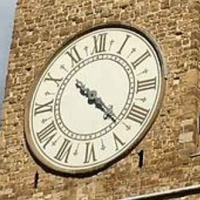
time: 10:22
